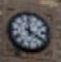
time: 3:59
